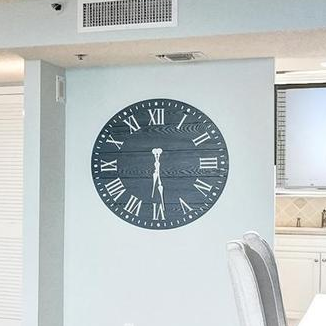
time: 6:29
